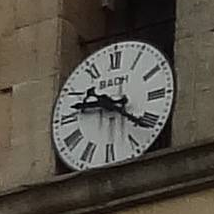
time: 9:21
